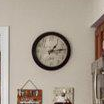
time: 1:13
